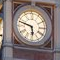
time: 5:47
